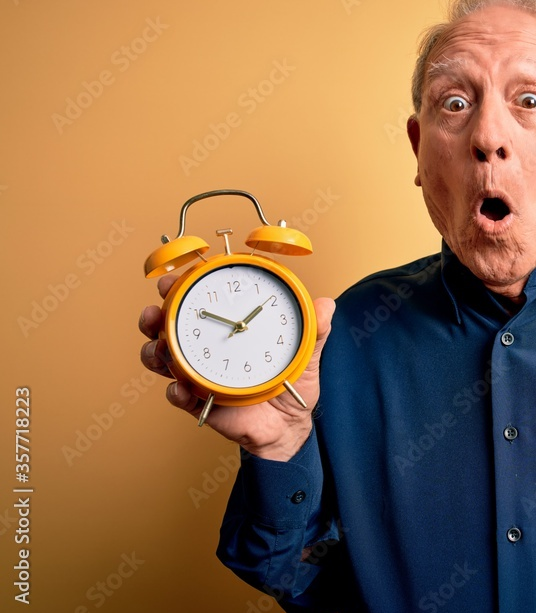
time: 1:50
